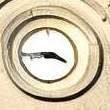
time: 3:43
